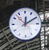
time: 12:09
